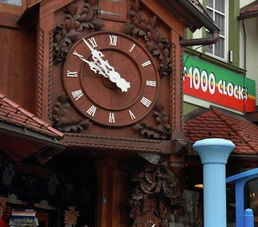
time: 9:53
